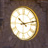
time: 10:12
